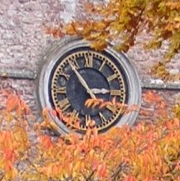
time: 2:54
